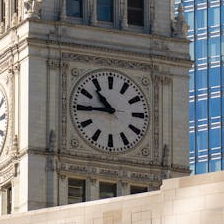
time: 10:45
